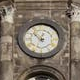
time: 12:52
